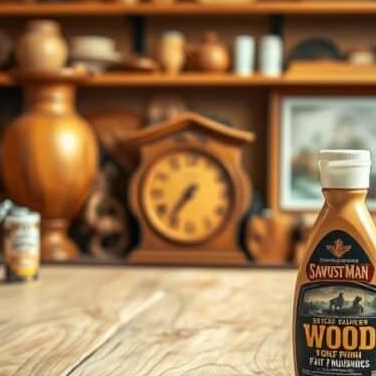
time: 7:36
